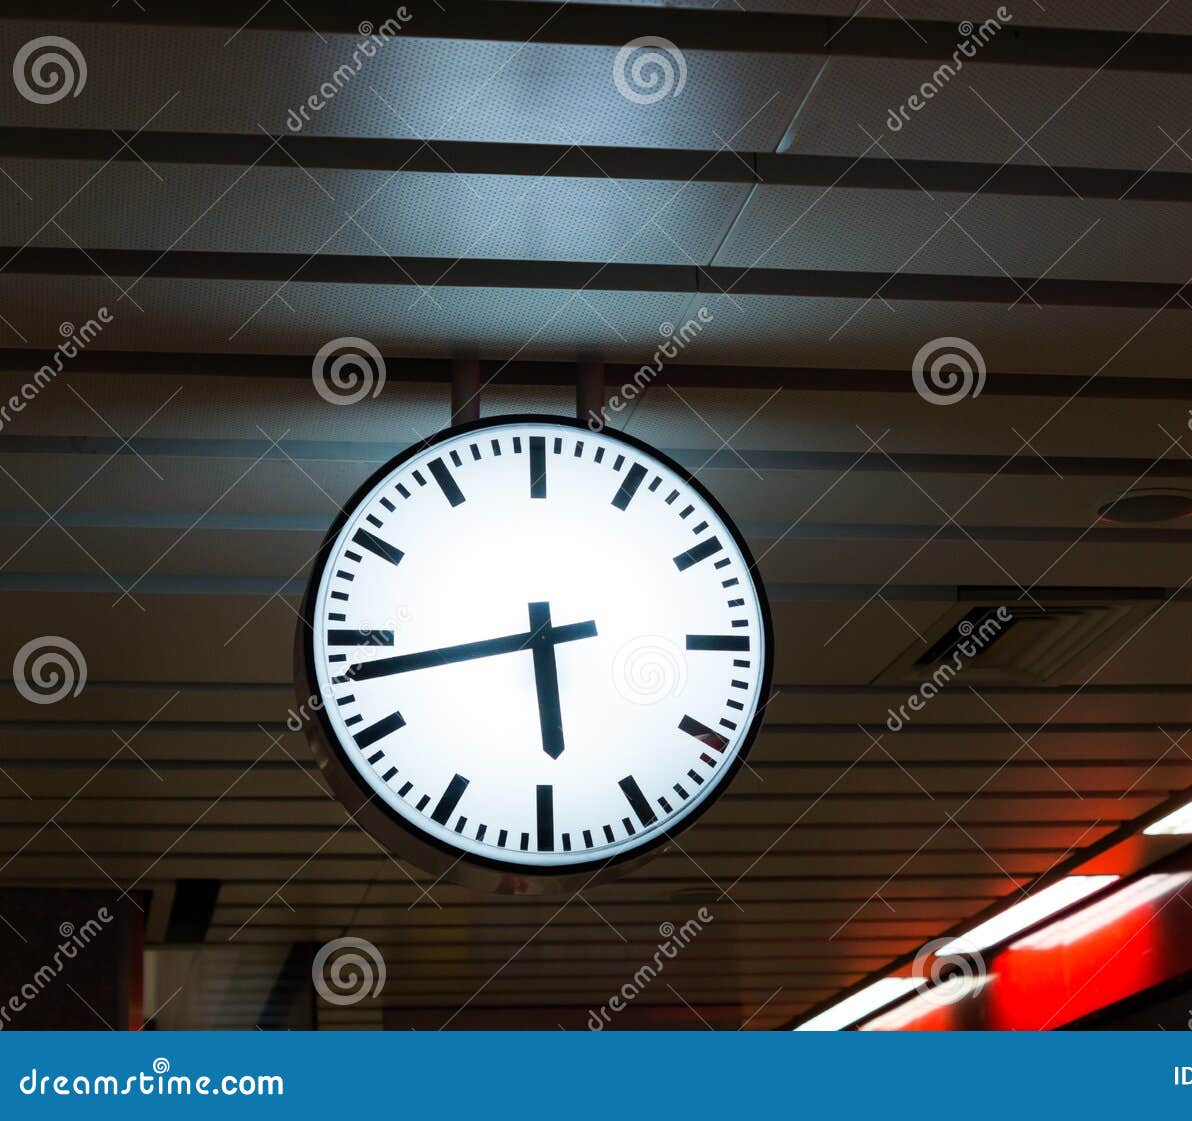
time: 5:43
